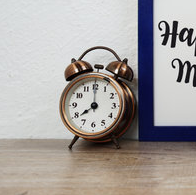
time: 8:00
